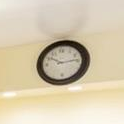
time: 10:13
